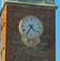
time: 4:35
